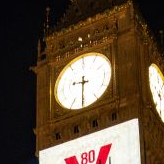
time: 9:30
